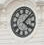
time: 4:07
